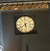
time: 5:39
